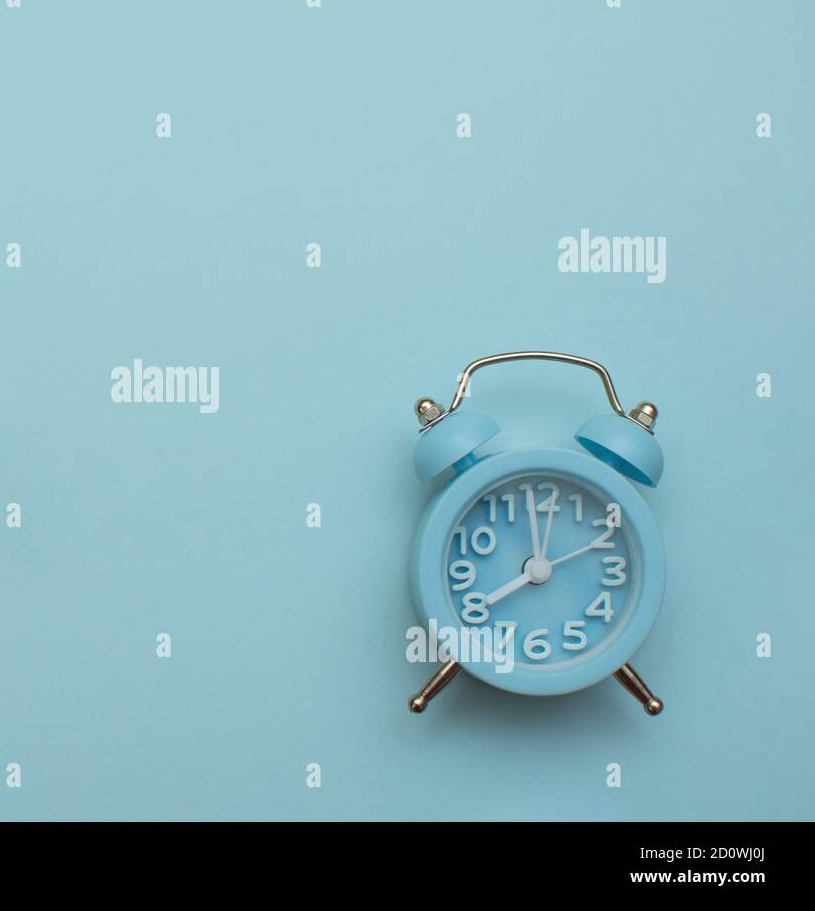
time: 7:59
